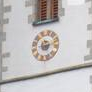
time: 8:12
